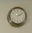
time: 2:09
